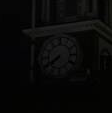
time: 7:40
